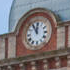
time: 11:55
